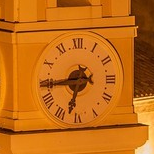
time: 6:43
